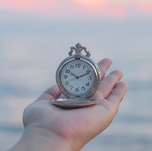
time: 10:10
